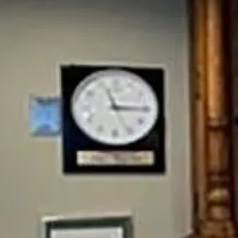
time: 11:15
